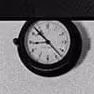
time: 8:52
